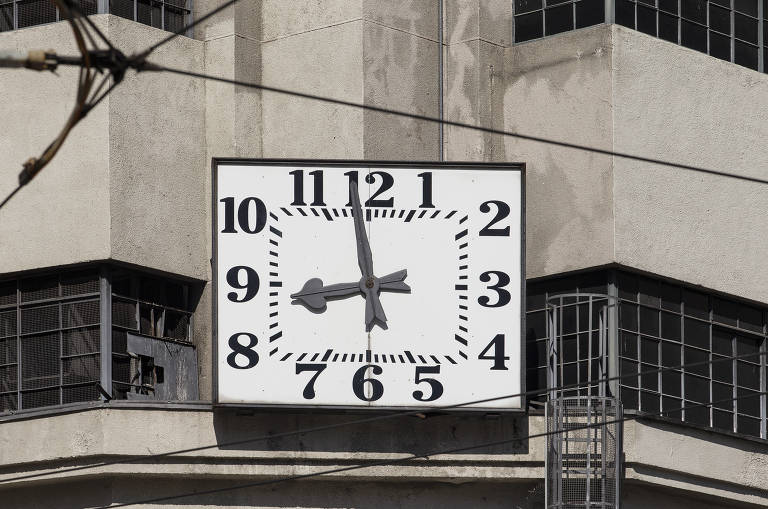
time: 8:58
